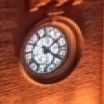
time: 4:08
